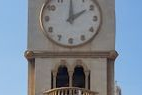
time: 2:00
